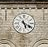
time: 5:19
